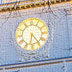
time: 6:23
